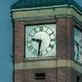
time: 9:31
